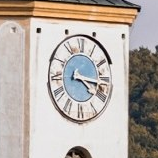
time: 4:16
